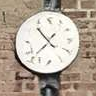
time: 10:37
